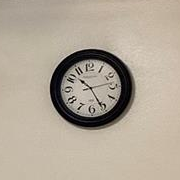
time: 10:25
